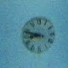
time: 8:47
